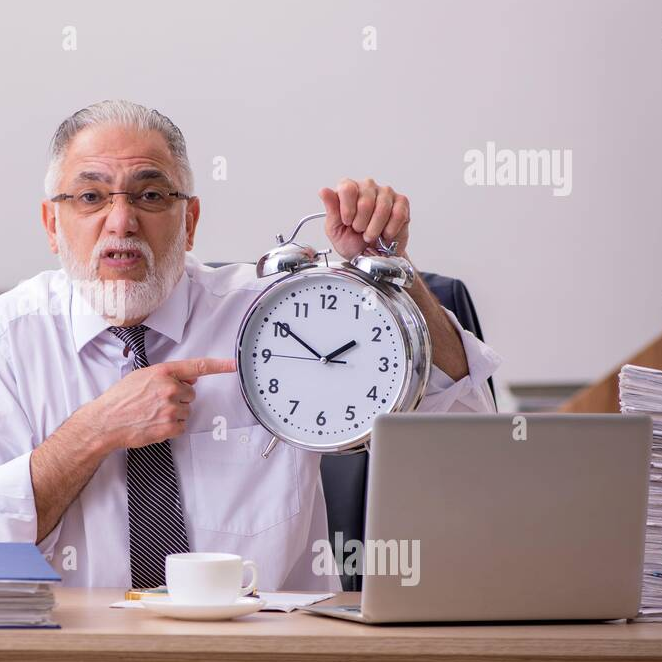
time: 1:50
